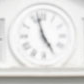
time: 4:57
